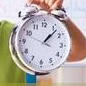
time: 1:06
